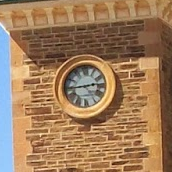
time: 2:44
